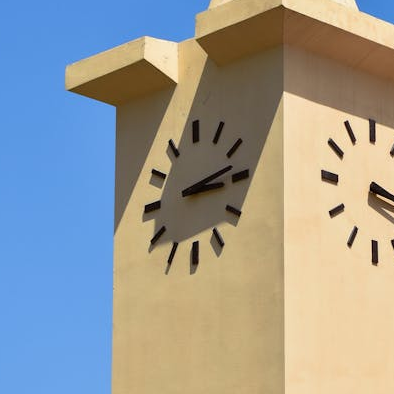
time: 3:13
